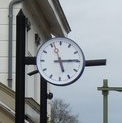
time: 5:14
